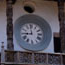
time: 11:44
